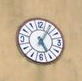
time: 5:05
